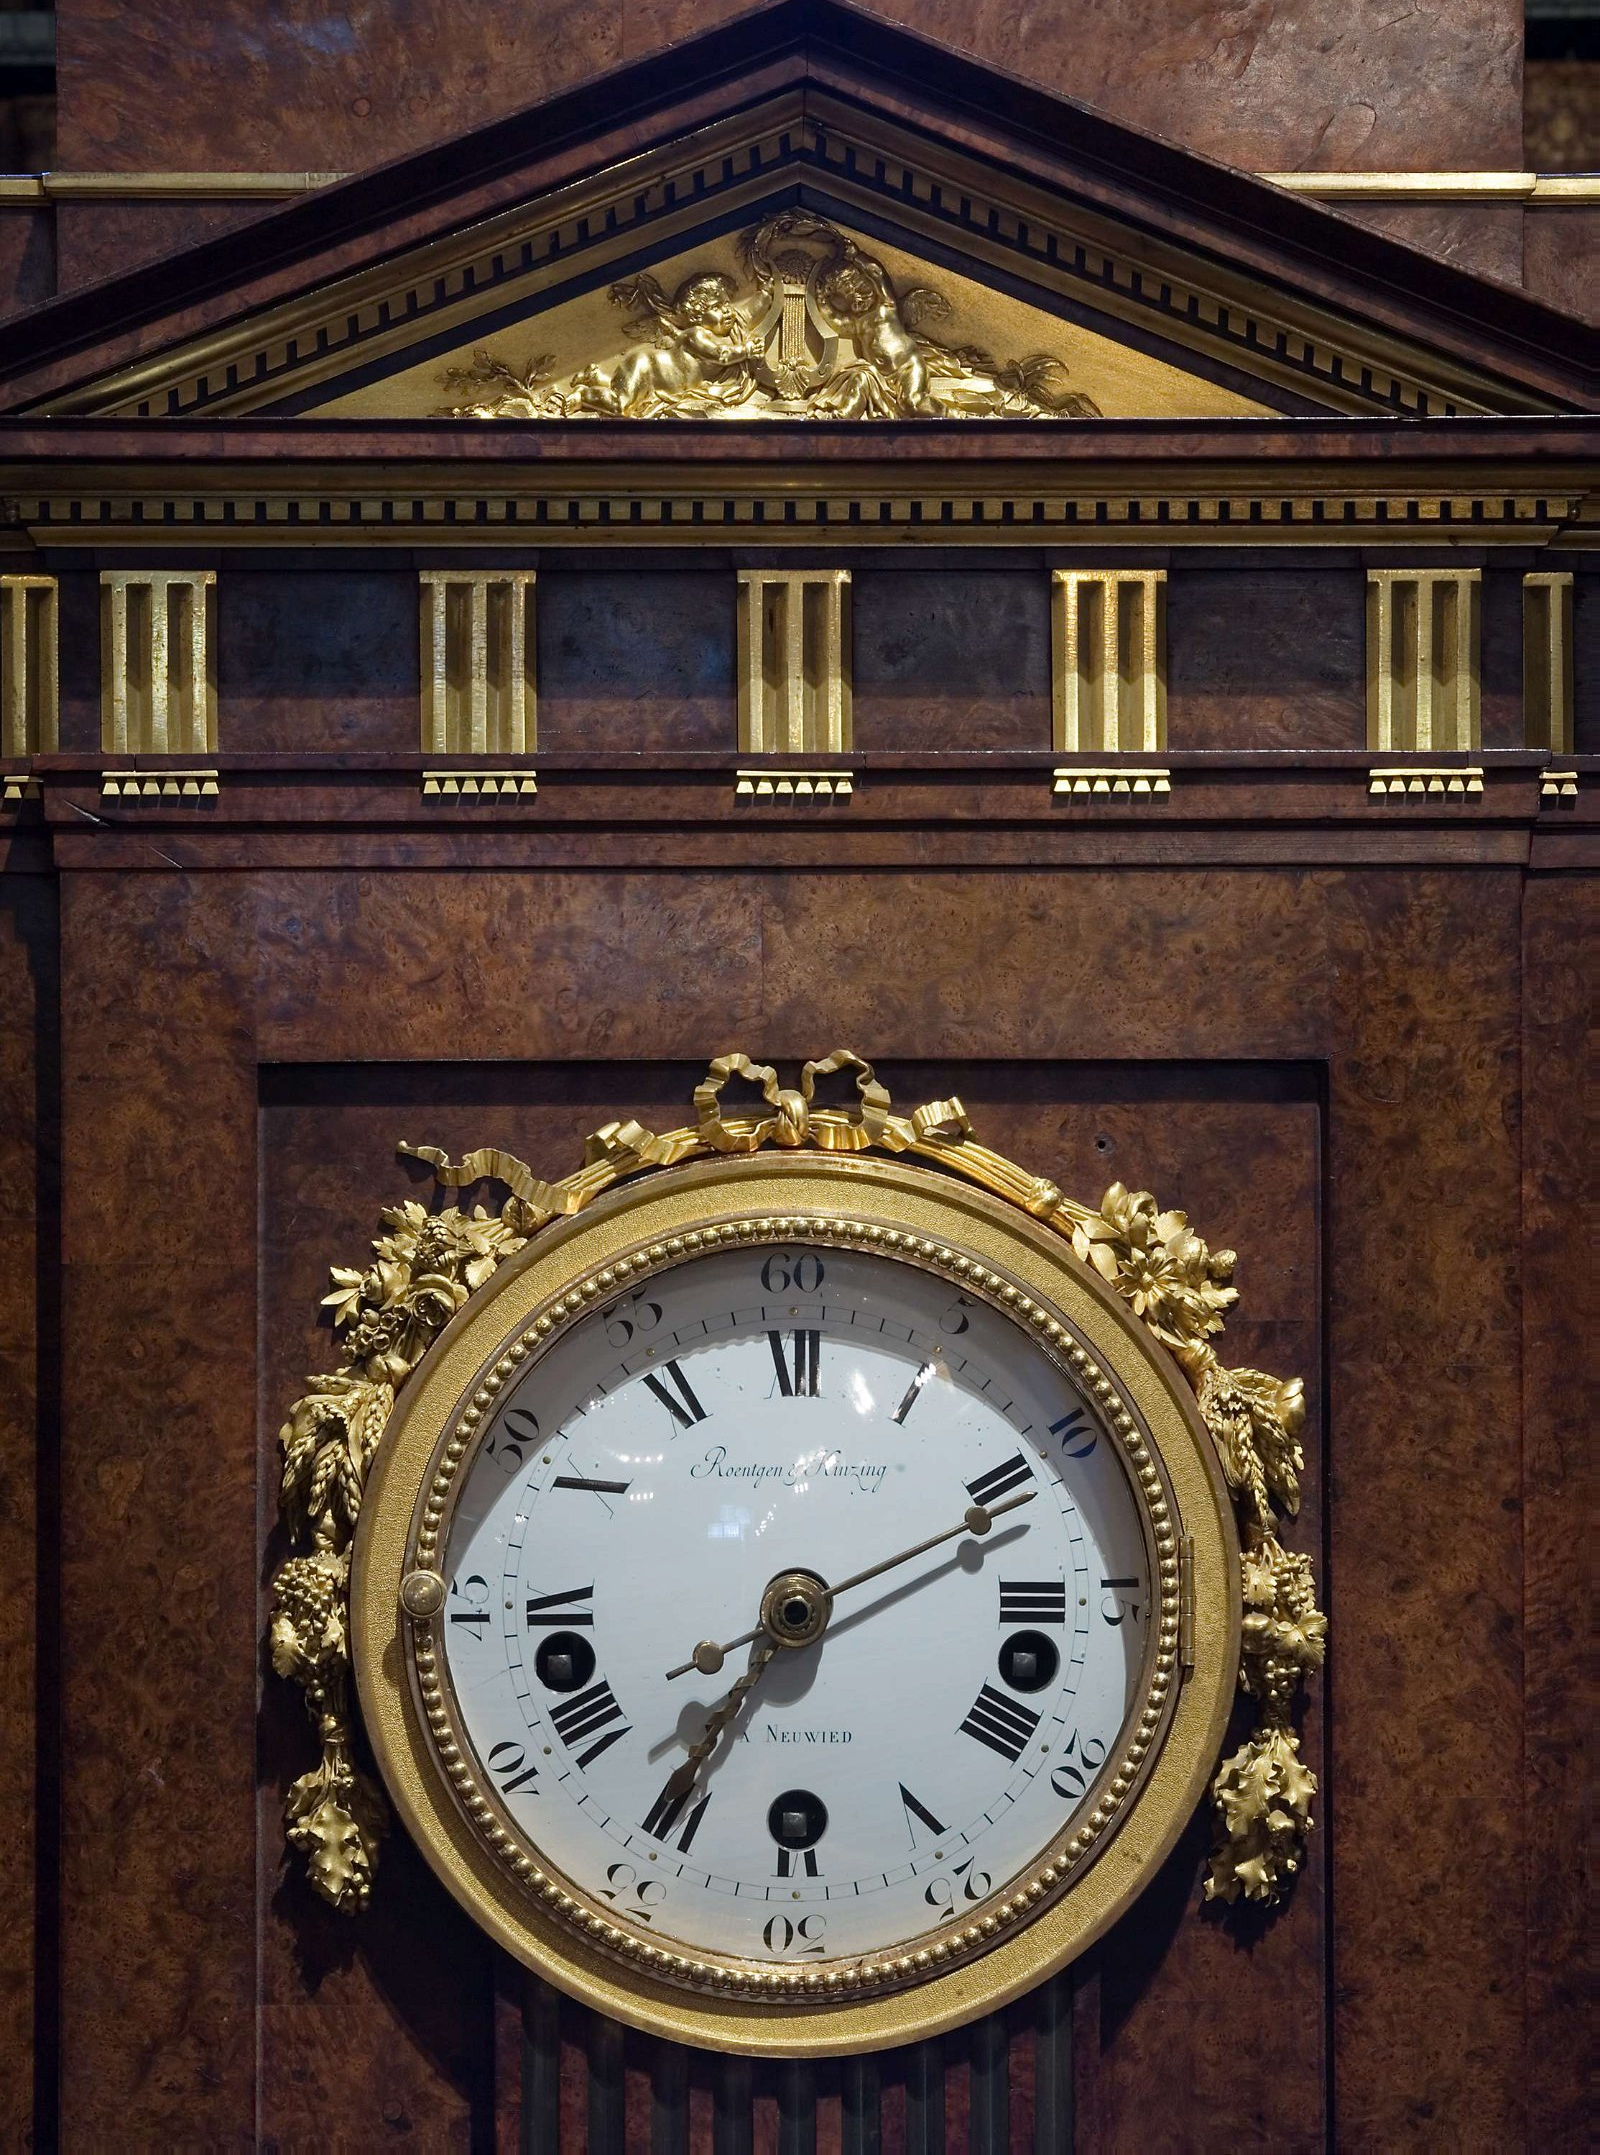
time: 7:11
